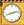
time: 8:12
